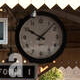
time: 10:07
